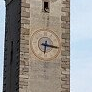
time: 6:16
